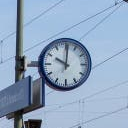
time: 10:00
